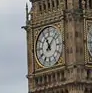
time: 11:07
